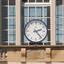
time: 2:23
